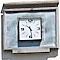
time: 10:28
